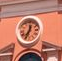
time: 12:34
